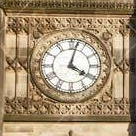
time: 4:02
